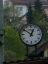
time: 12:51
